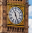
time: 11:26
